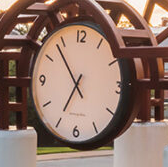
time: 6:53
